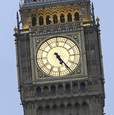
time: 5:24
